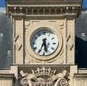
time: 5:34
